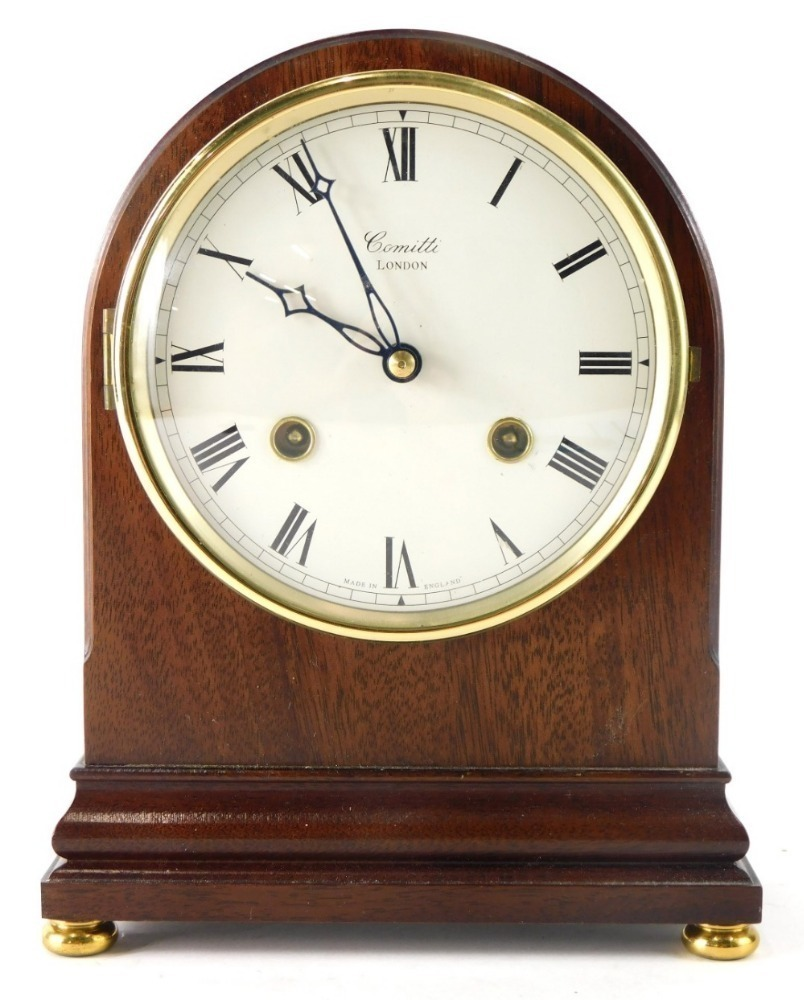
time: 9:55
